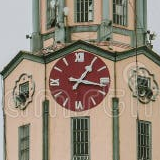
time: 1:17
